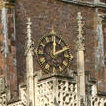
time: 2:00
